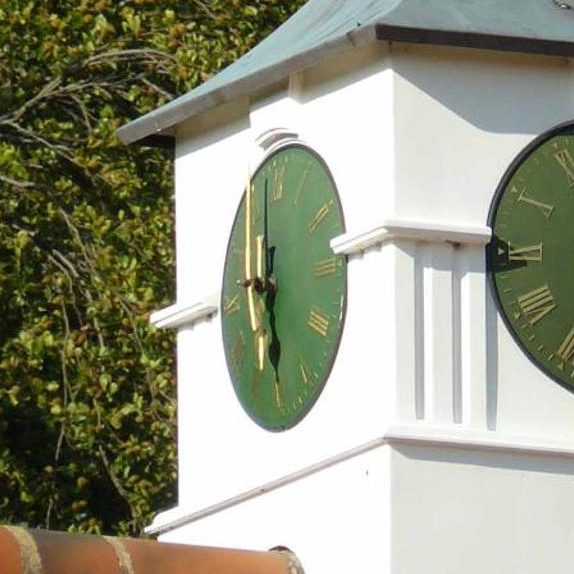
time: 5:59
